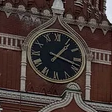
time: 1:18
